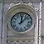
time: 12:07
